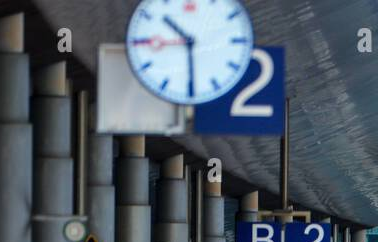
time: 10:29
